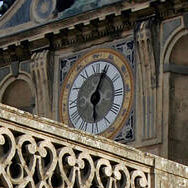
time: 6:04
